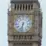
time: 6:32
